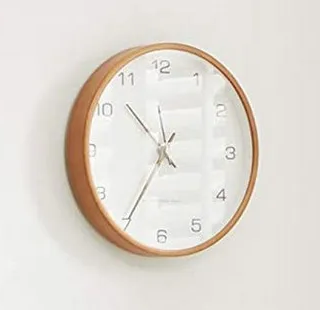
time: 10:35
